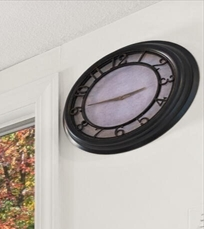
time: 2:45
